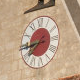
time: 7:43
